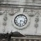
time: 6:17
